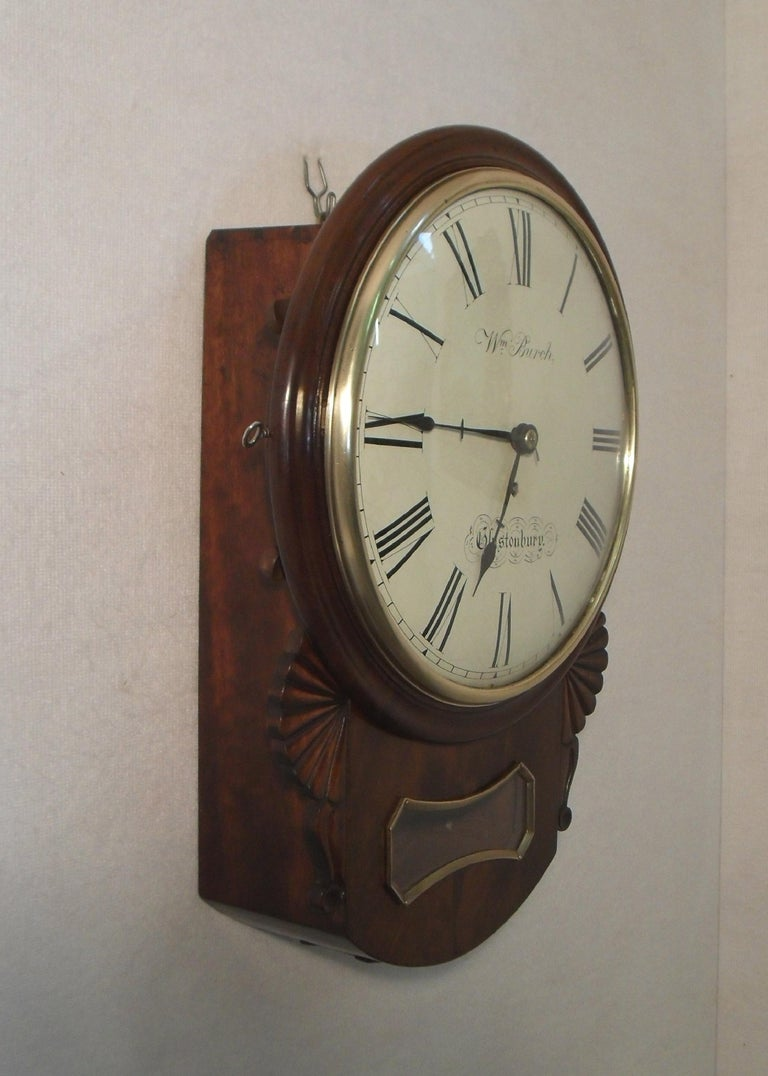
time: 6:45
